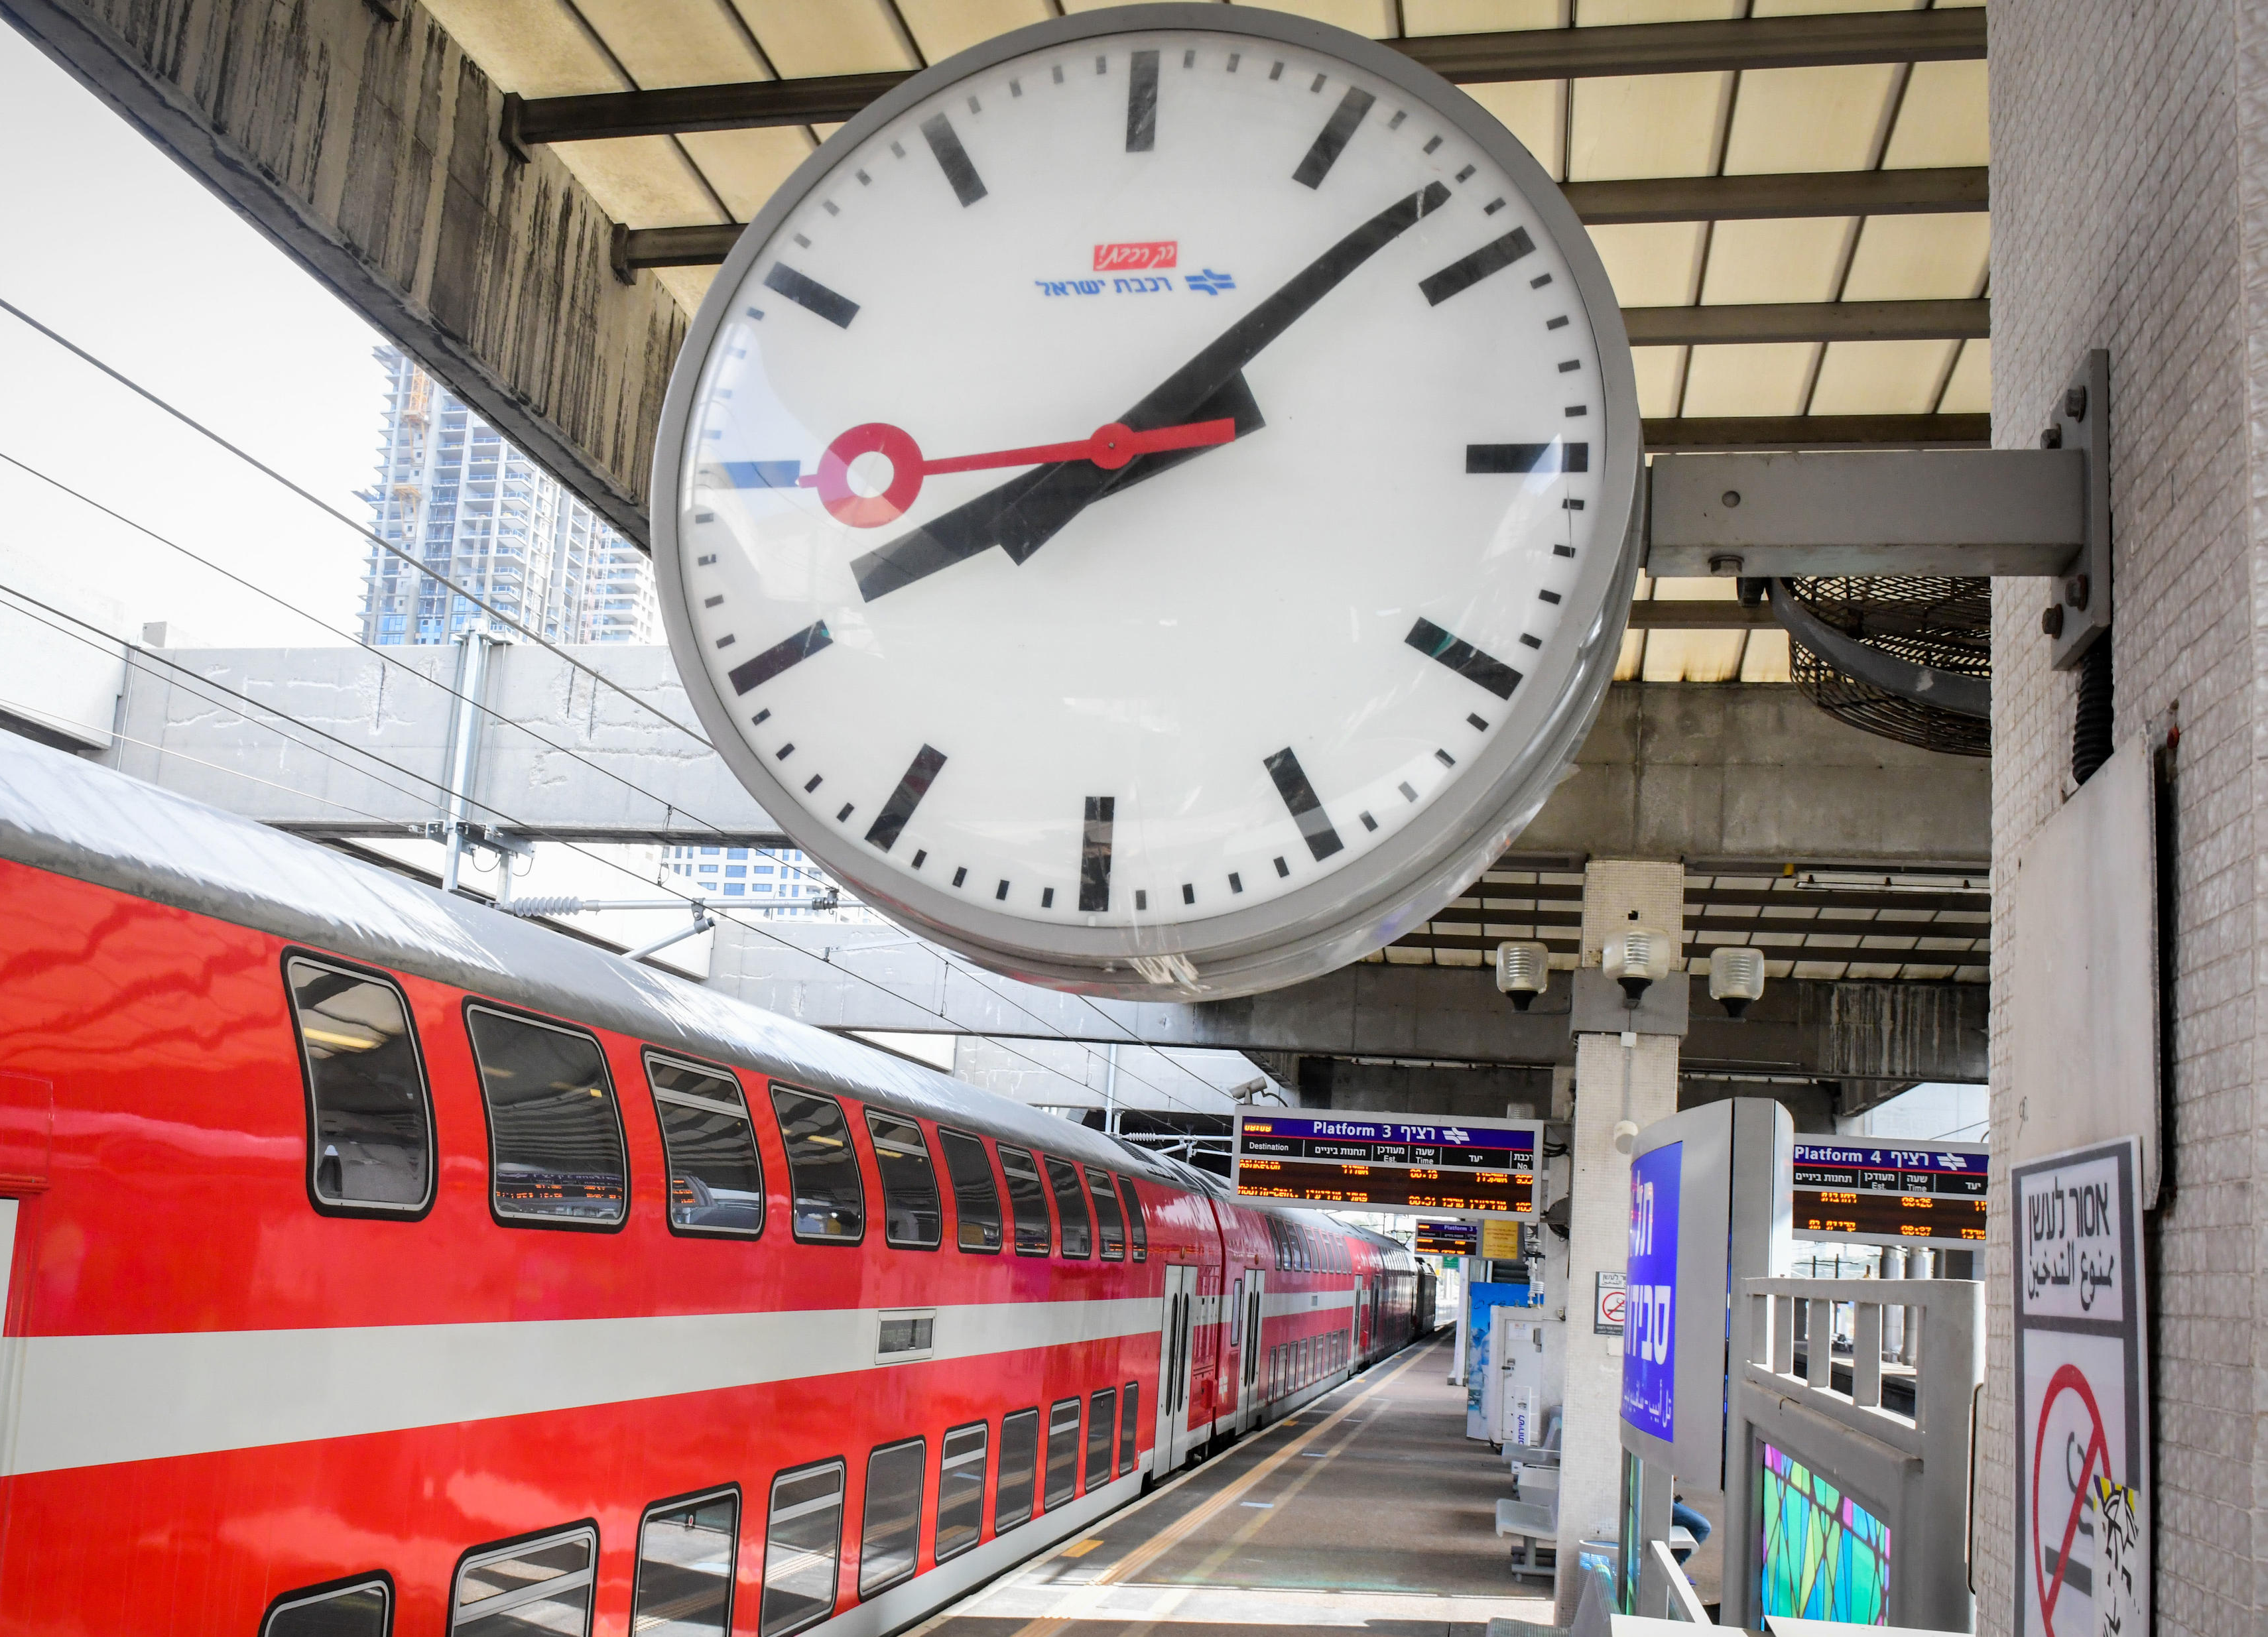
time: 8:07
